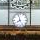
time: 7:57
